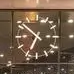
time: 6:51
